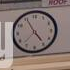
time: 4:55
